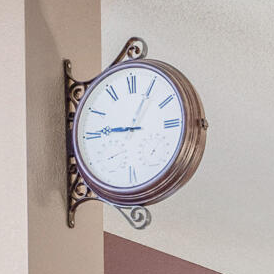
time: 9:04
